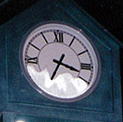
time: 3:34
